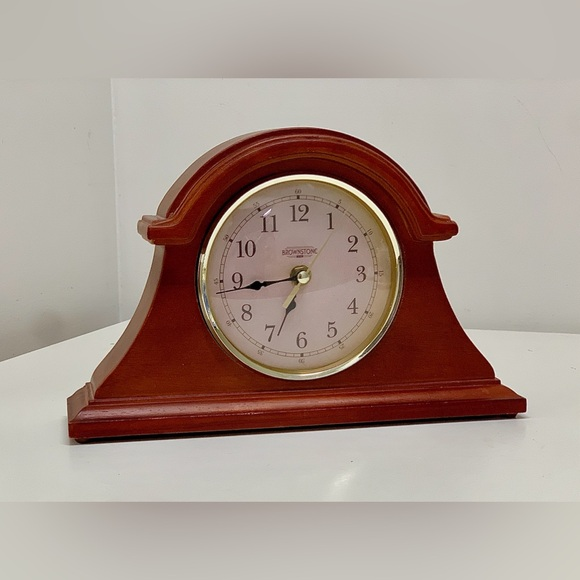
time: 6:43
